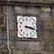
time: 3:17
